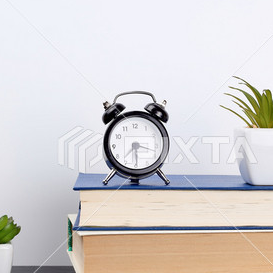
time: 3:29
